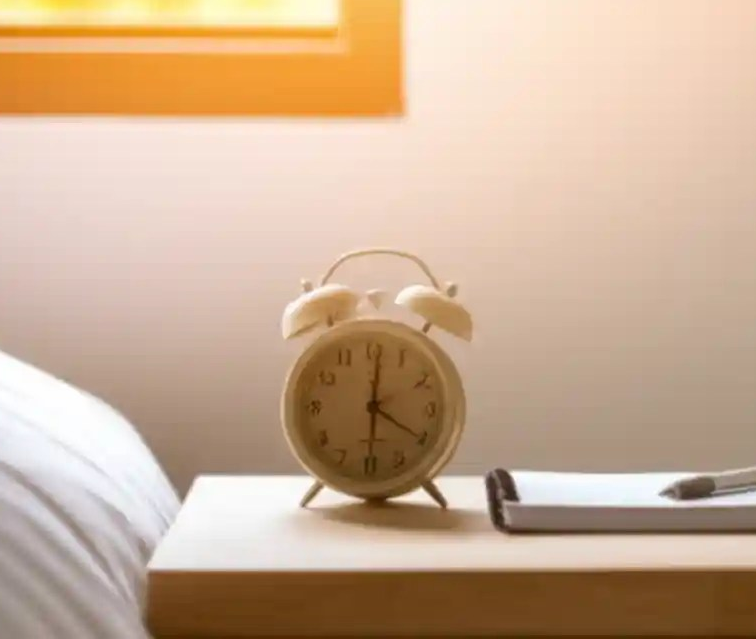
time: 4:01
